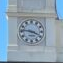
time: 3:46
